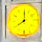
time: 8:00
